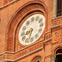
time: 8:32
